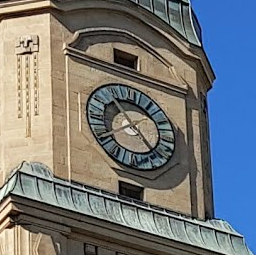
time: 4:54
